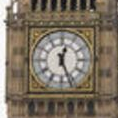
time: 12:26
